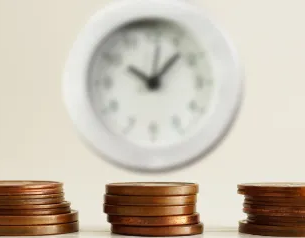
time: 10:07
